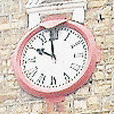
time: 9:58
